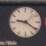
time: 9:21
